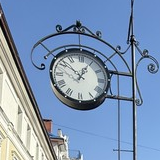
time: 12:51
